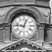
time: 12:46
